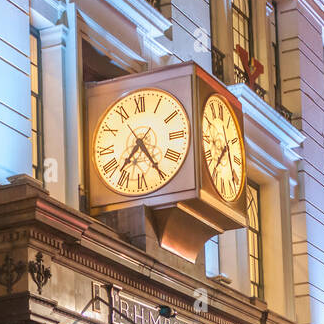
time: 7:24
